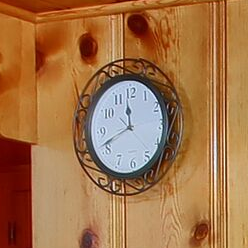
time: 11:41
